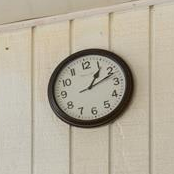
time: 1:11
